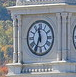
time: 11:34
